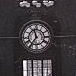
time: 11:35
